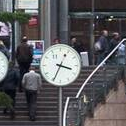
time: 3:34
